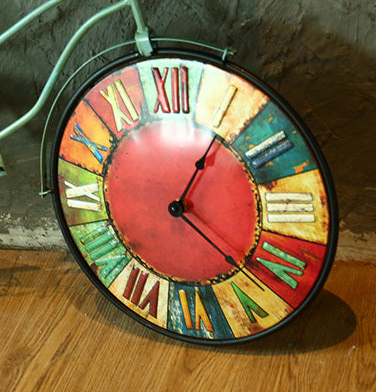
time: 1:22
